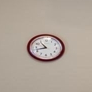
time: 10:42
